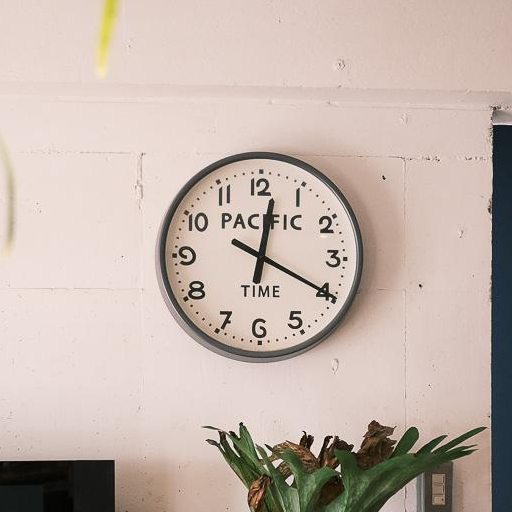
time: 12:19
